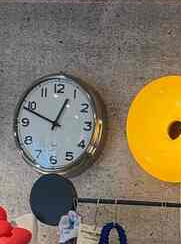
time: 12:48
